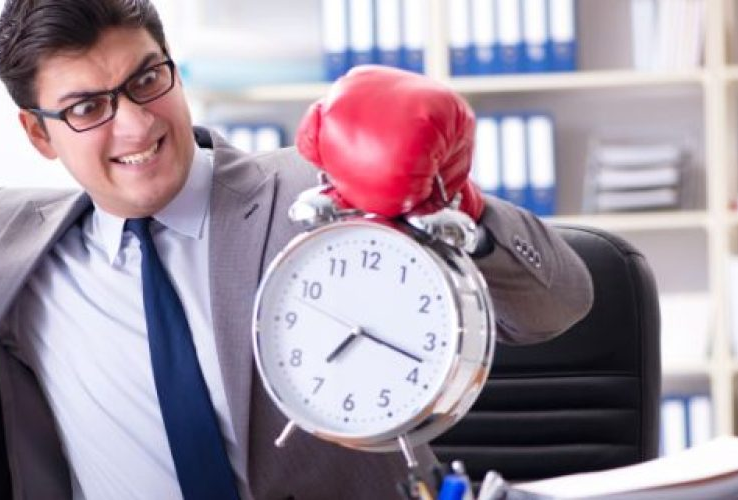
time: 7:17
